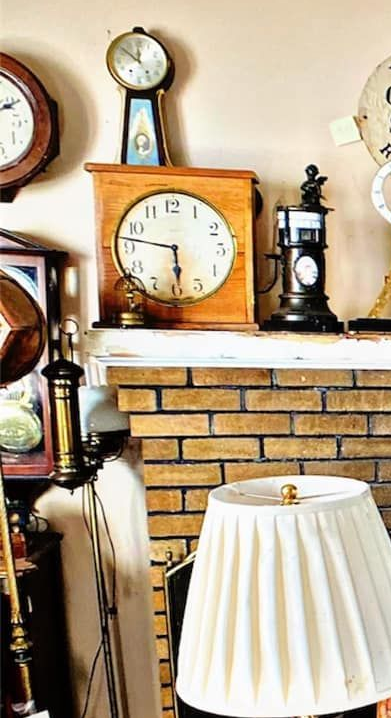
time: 5:46
